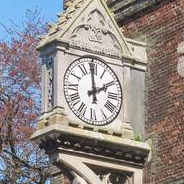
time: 1:59
